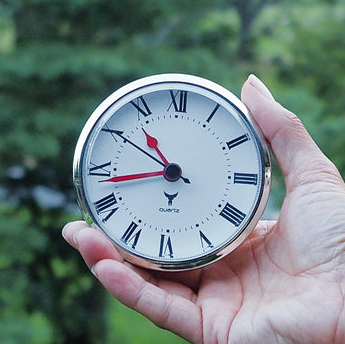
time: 10:42
